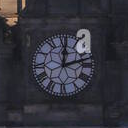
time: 12:12
